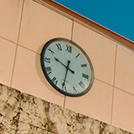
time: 9:31
